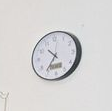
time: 10:36
